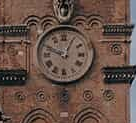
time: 12:48
